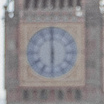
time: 5:59
